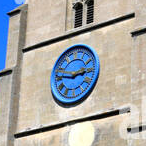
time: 2:48
